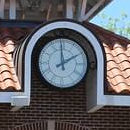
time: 1:59
